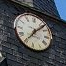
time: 7:07
